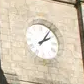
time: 2:06
